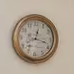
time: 12:17
